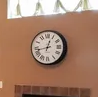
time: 12:43
